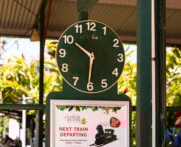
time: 10:30
